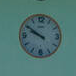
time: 9:50
